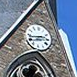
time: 2:42
